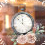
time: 11:52
